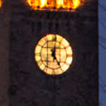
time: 12:24
